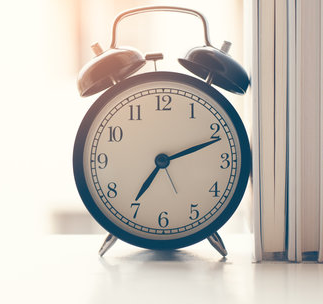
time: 7:11
